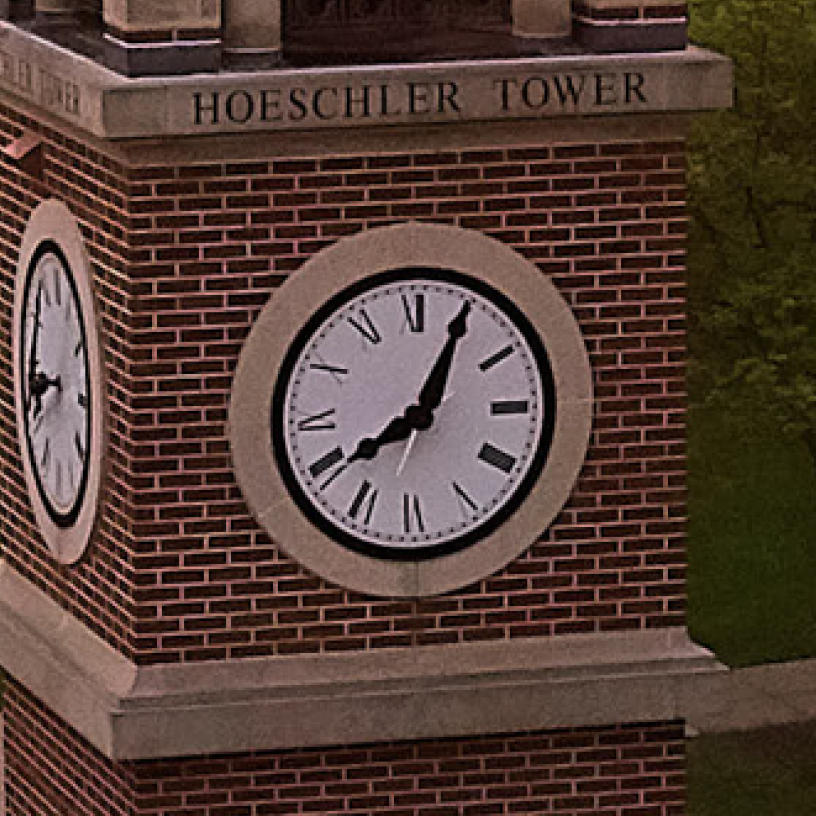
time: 8:04
